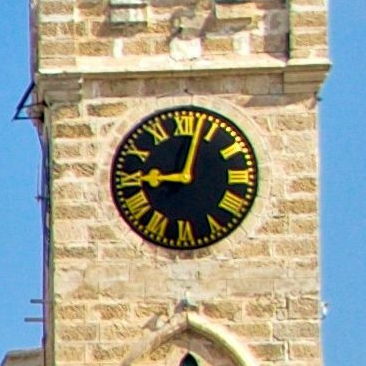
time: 9:02
